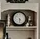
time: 4:29
